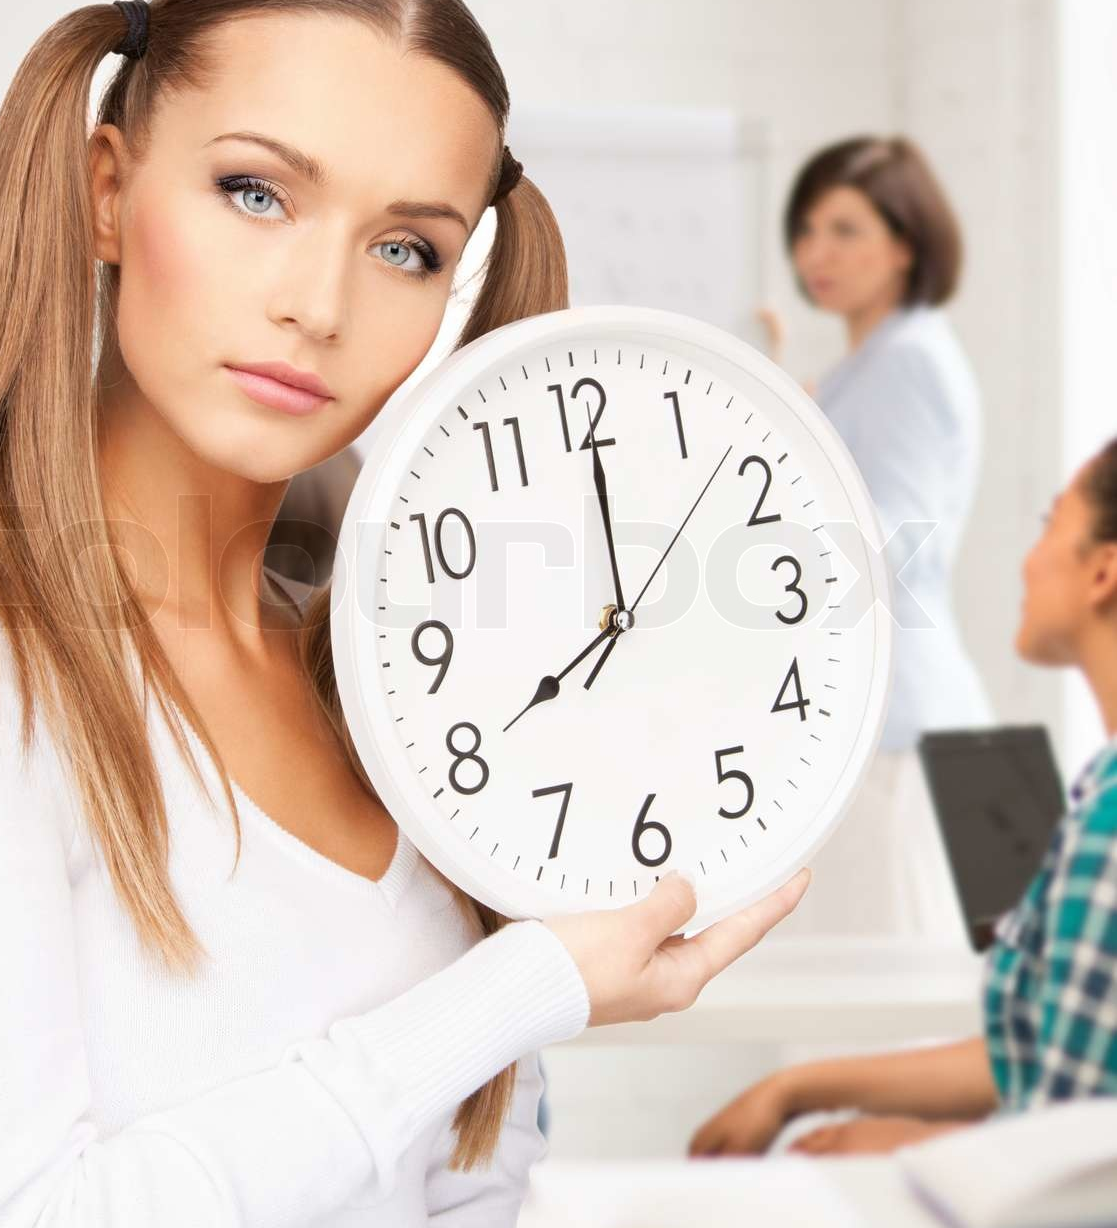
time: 8:00
